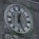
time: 12:26
